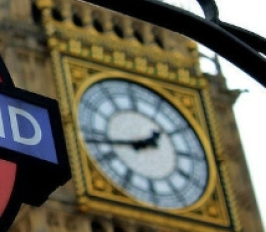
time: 1:43
